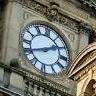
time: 1:41
